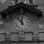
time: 11:53
